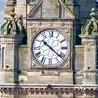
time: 10:21
